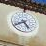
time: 4:40
